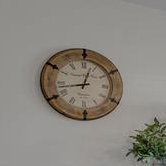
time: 12:42
